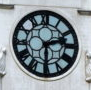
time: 2:29
